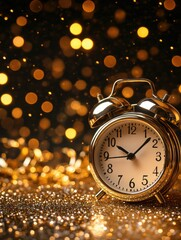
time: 10:07
